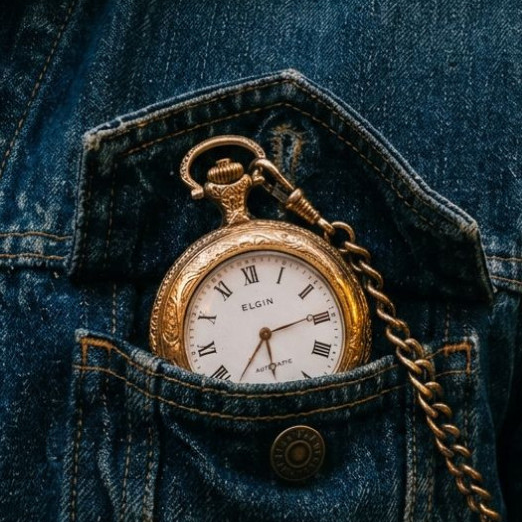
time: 2:33
